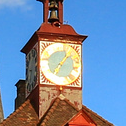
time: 7:07
